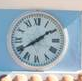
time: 1:39
